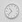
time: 10:36
